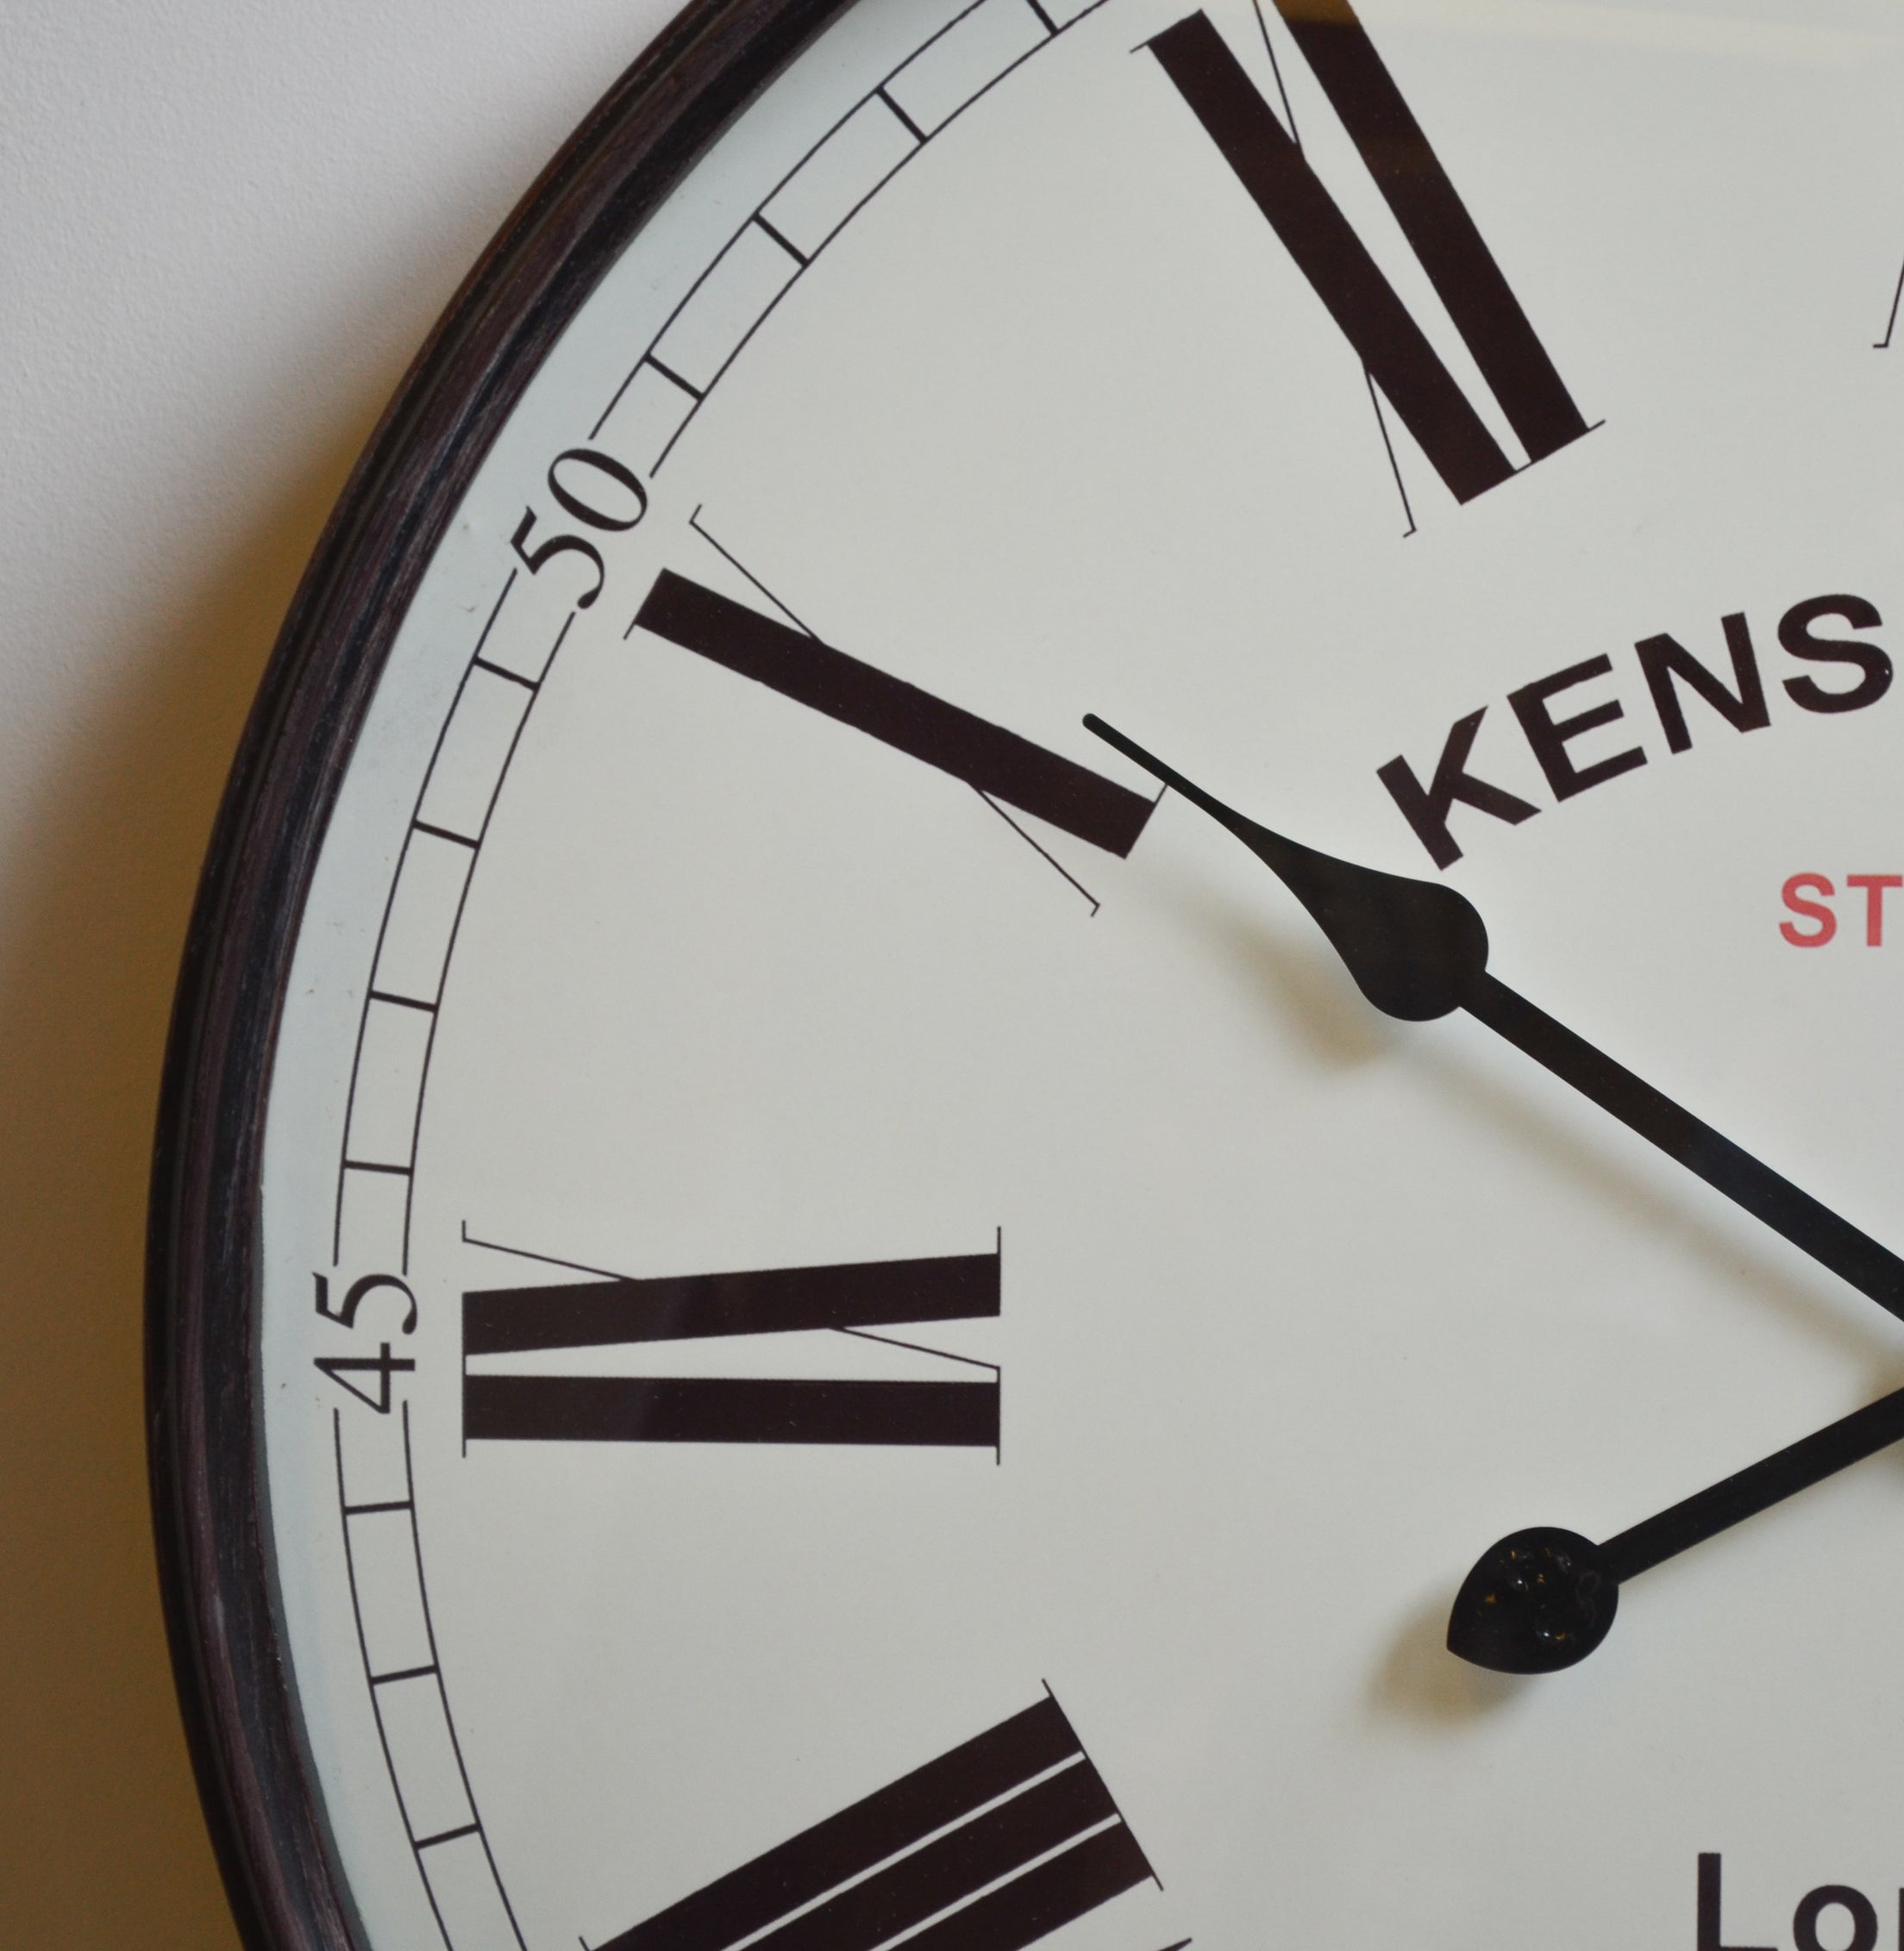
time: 3:49
